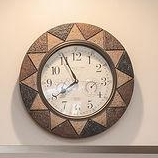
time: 7:55
